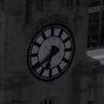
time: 6:38
